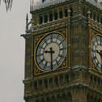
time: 9:30
